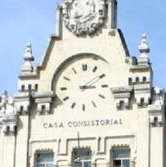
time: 3:09
